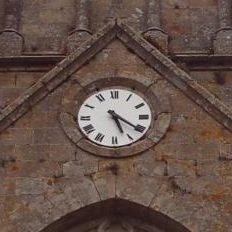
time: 5:21
